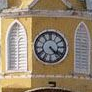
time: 4:22
